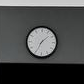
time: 1:34
